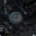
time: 9:01
